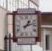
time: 1:12
